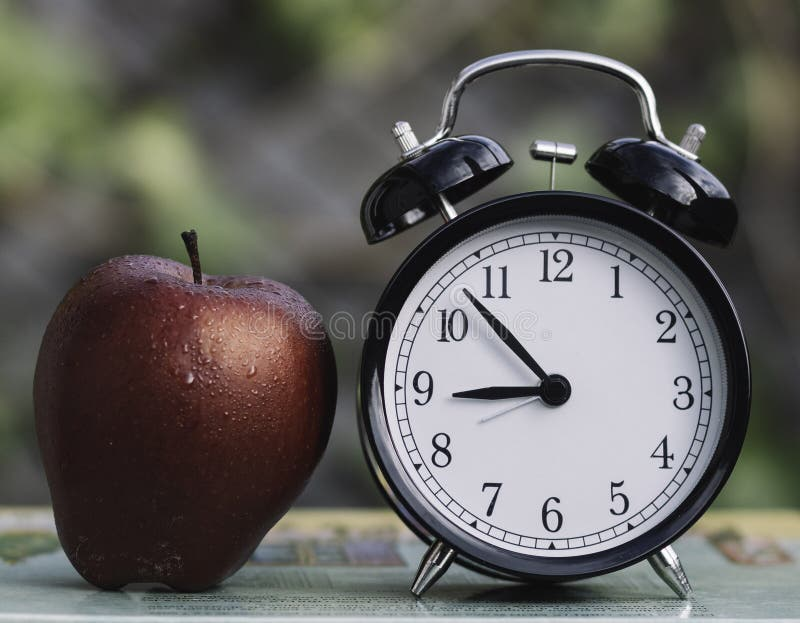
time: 8:53
